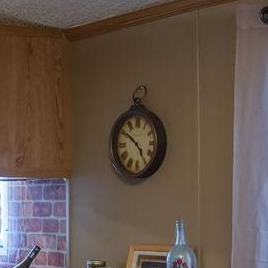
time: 4:50
